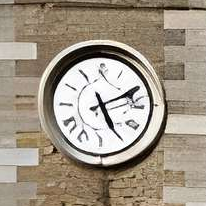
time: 5:11
